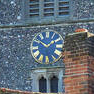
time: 1:50
